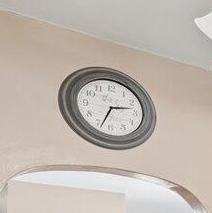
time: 2:33
